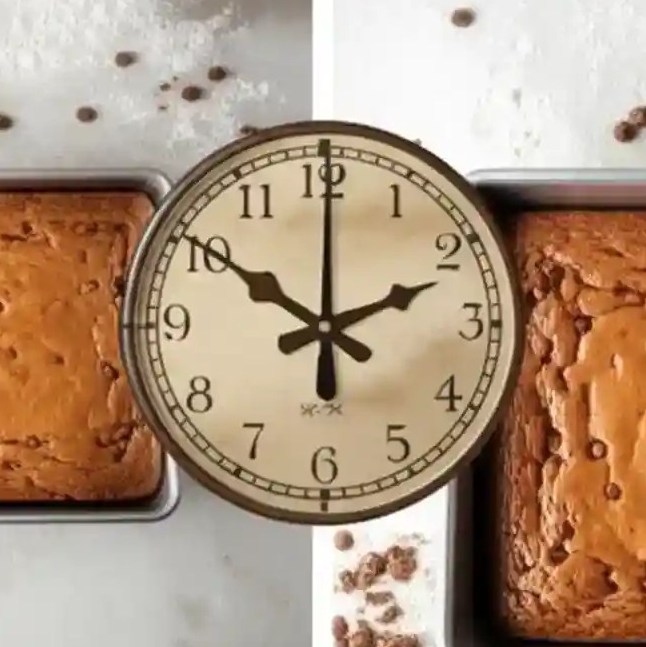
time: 10:00
